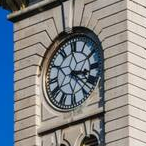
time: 3:22
